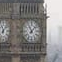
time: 11:07
